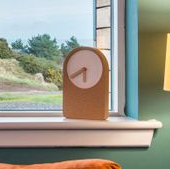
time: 5:40
